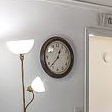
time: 12:37
